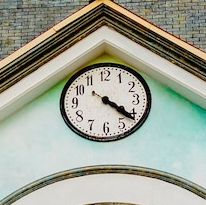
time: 4:21
